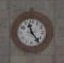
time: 11:23
